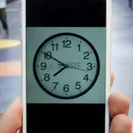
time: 7:50
